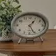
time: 1:26
